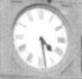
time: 4:28
